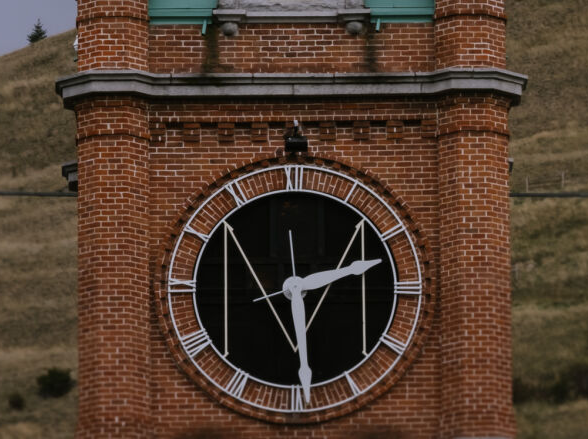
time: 2:29
